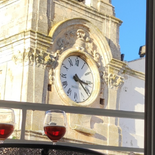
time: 3:21
